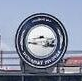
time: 3:43
